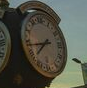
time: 7:43
